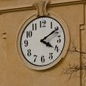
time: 4:09
